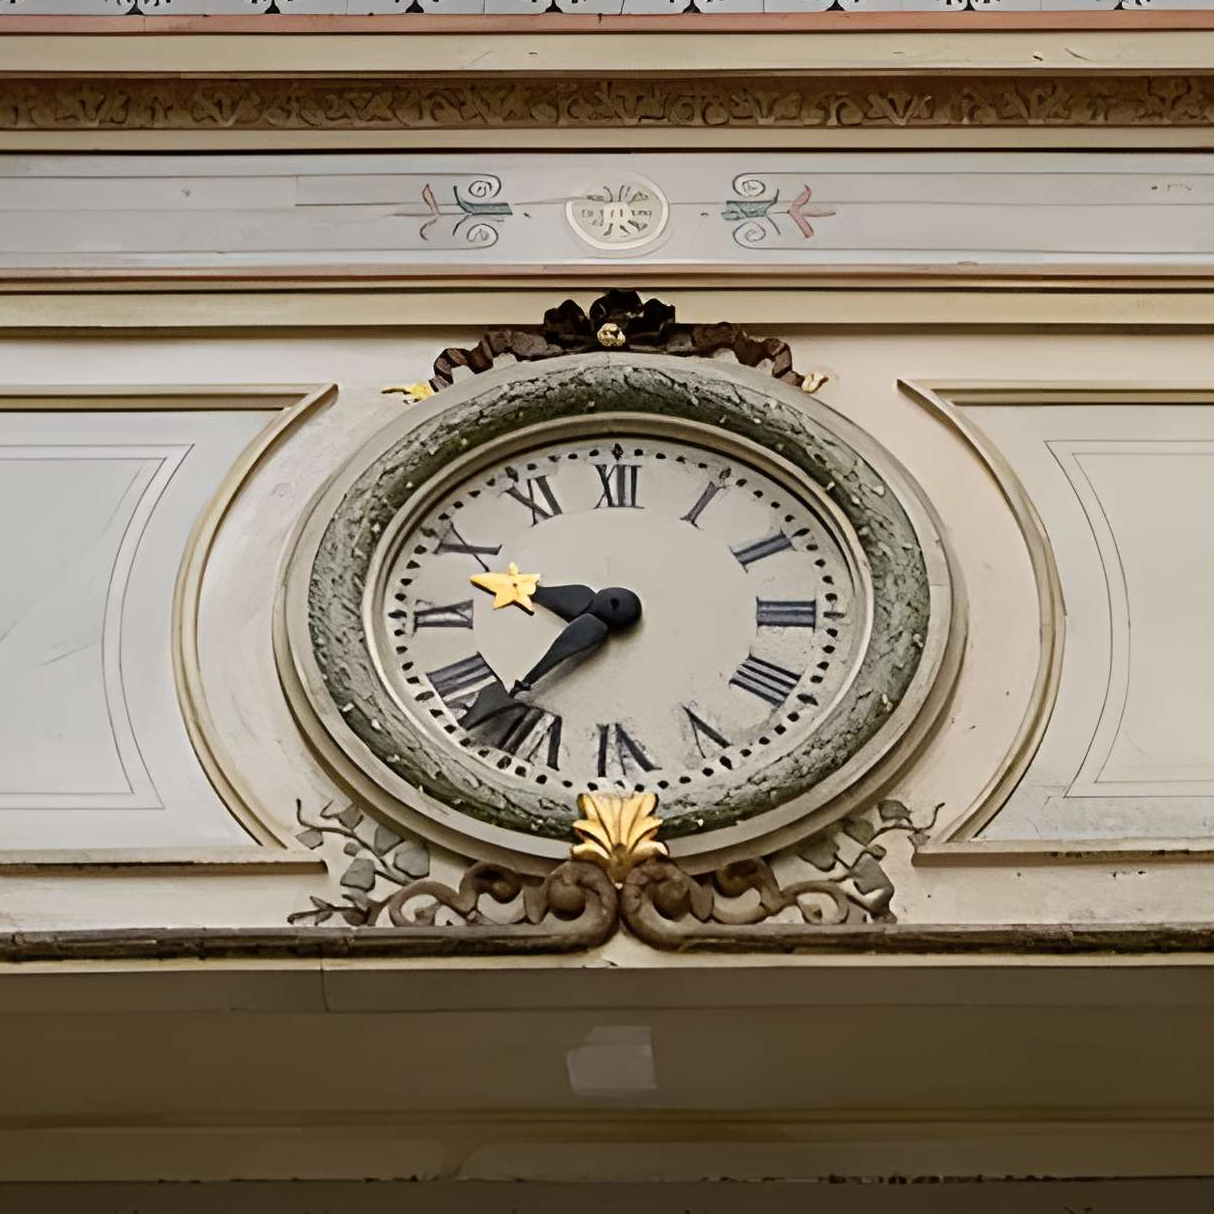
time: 9:36
